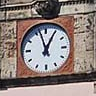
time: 12:56
